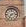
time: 7:12
